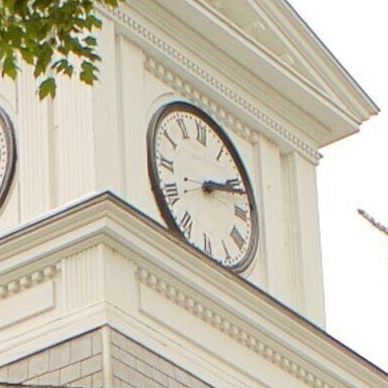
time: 2:11
